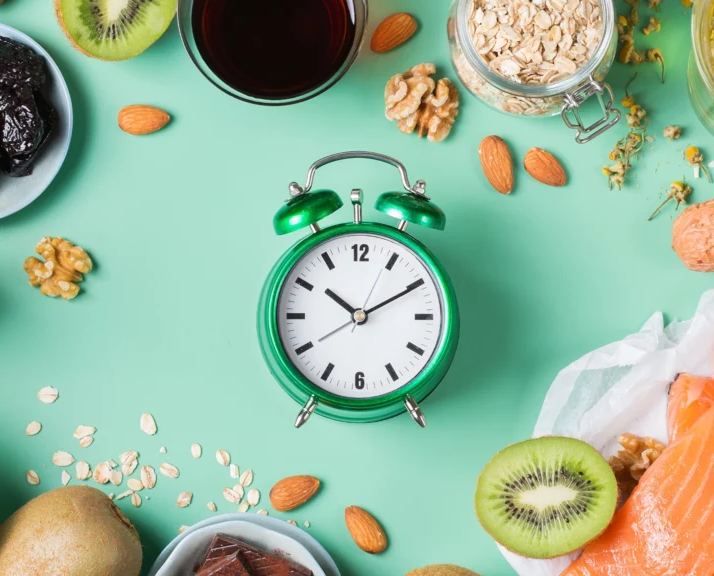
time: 10:10
